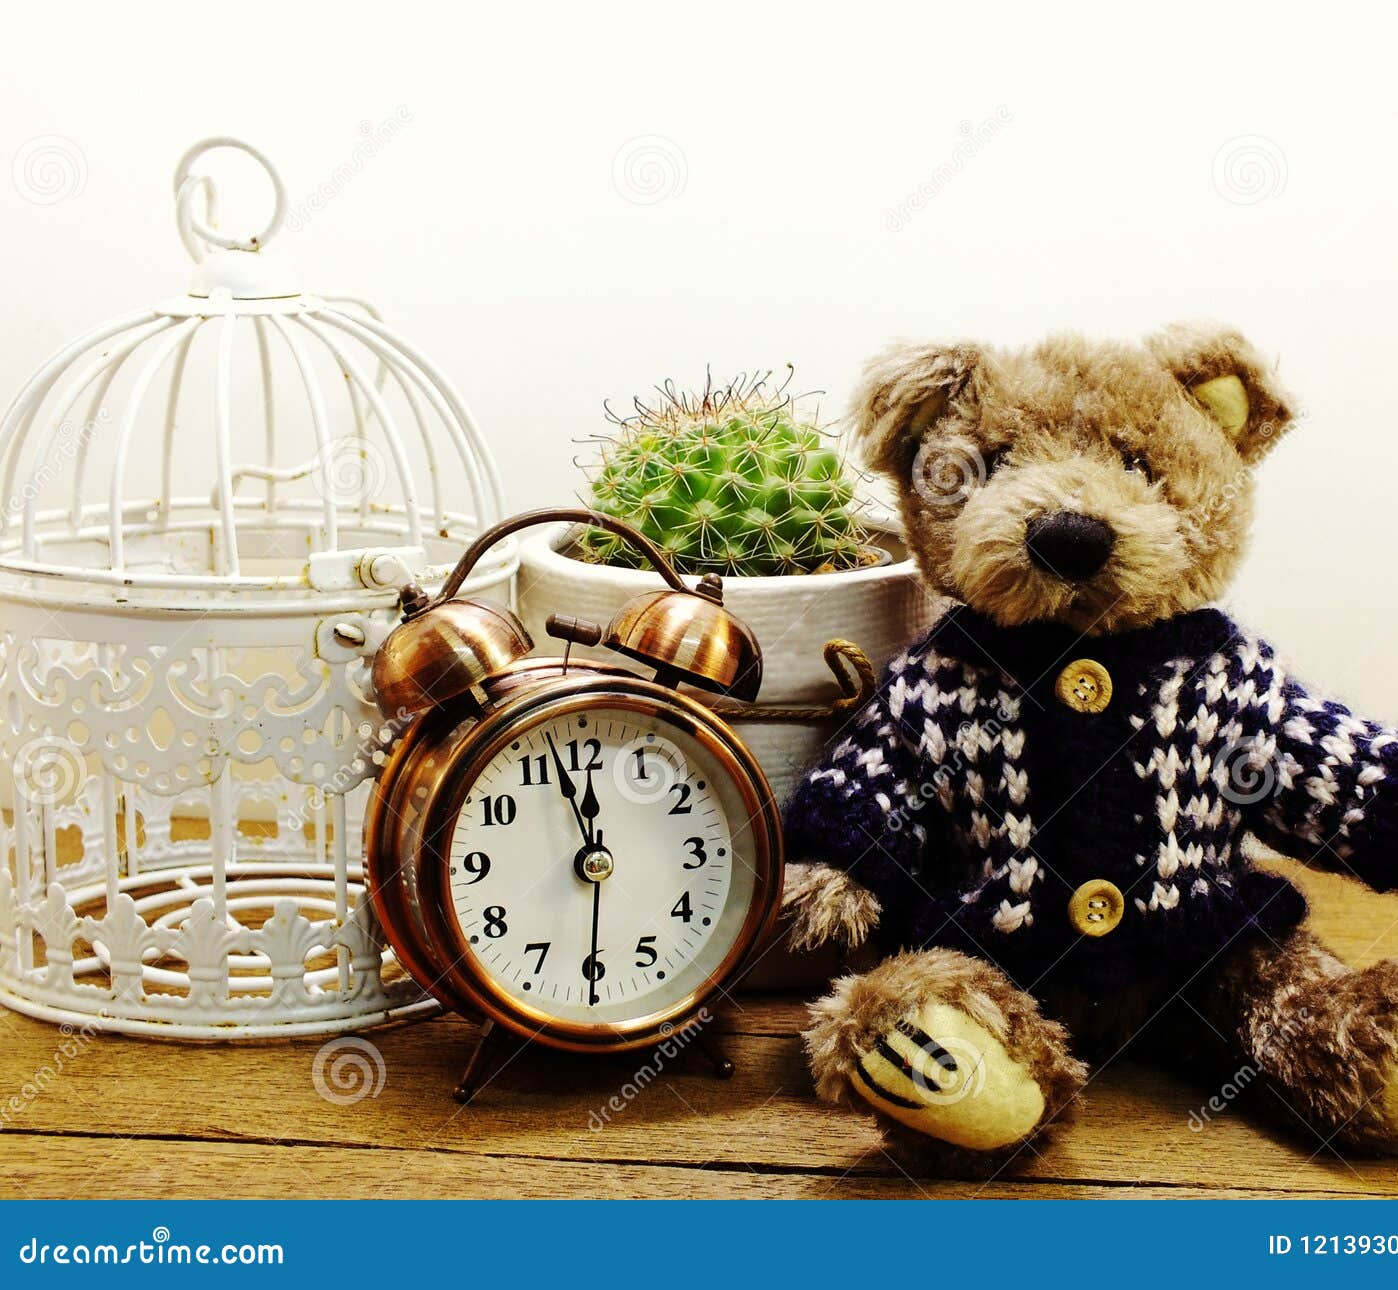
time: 11:57
